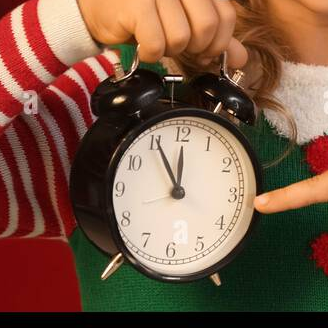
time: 11:55
